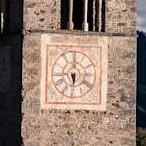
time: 5:59
